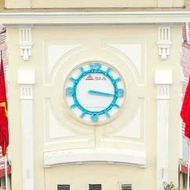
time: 3:16
